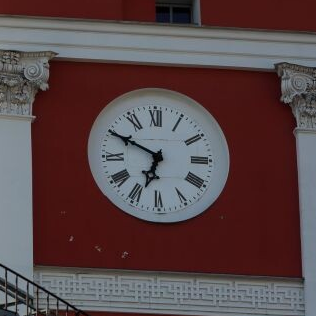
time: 6:49
